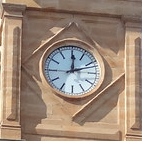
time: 12:11
